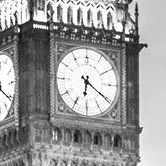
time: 6:20
